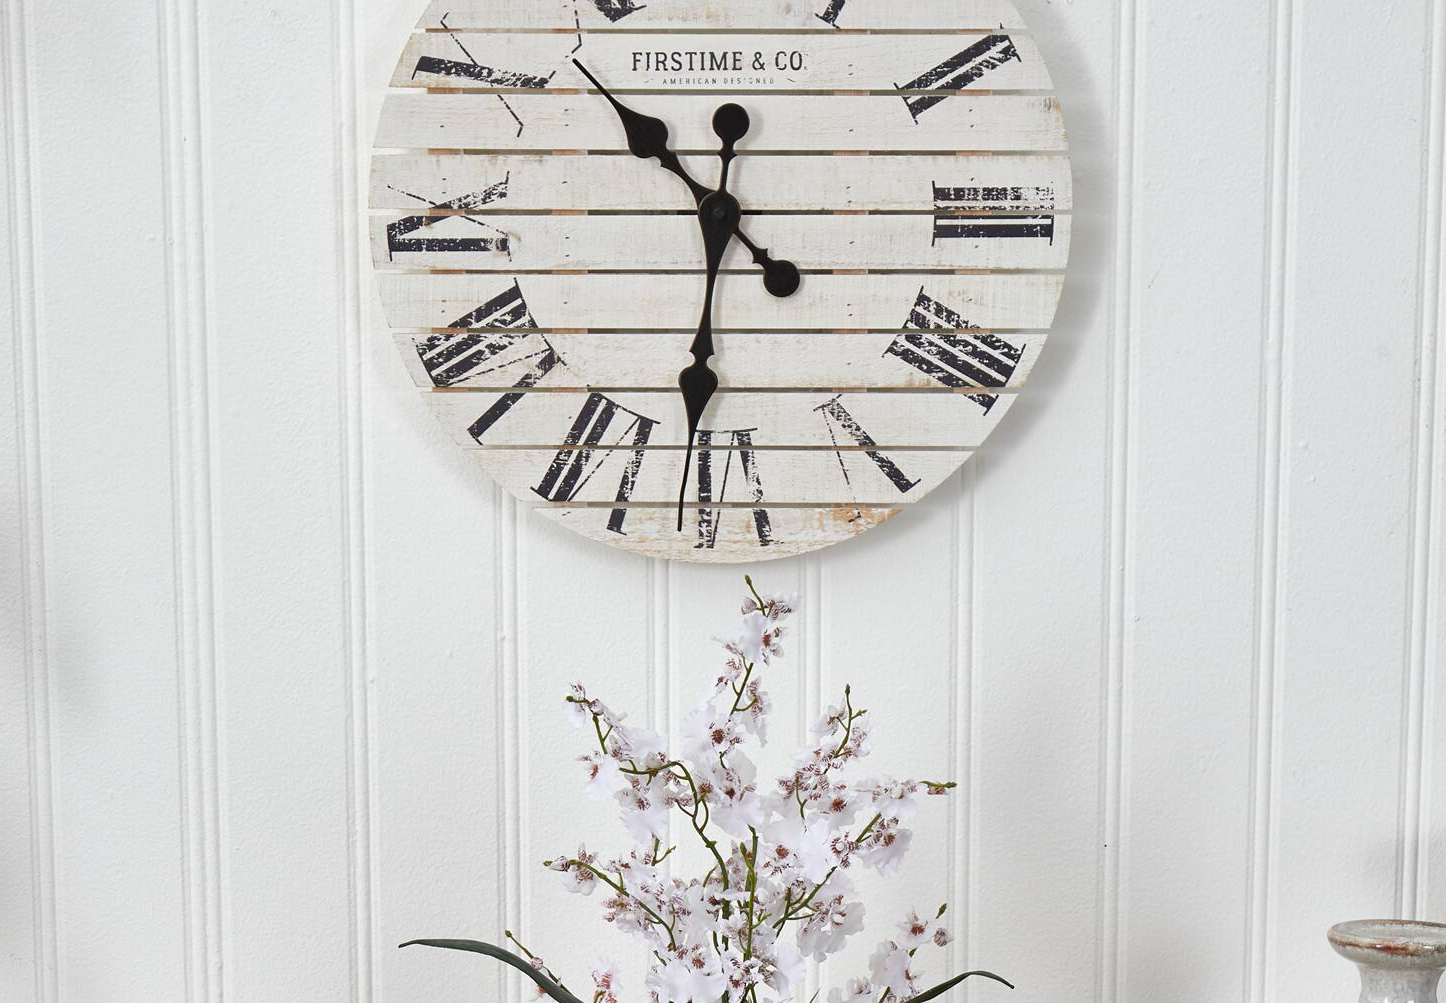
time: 10:31
